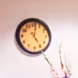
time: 5:02
